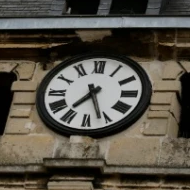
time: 7:26
